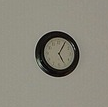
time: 5:05
